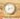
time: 7:12
